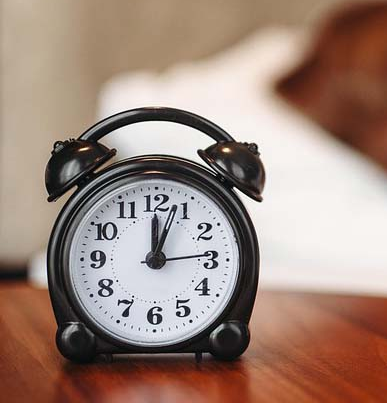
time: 12:03
